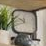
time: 9:42
